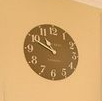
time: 10:49
